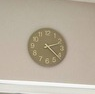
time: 2:21
